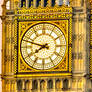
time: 7:47
